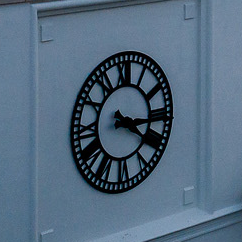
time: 4:16
